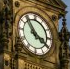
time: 3:53
